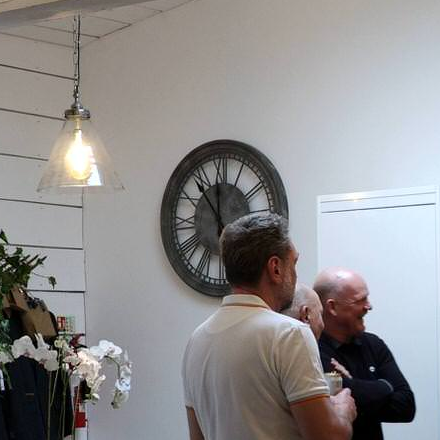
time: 11:53
